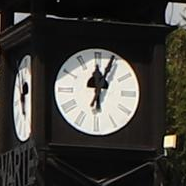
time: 12:04
